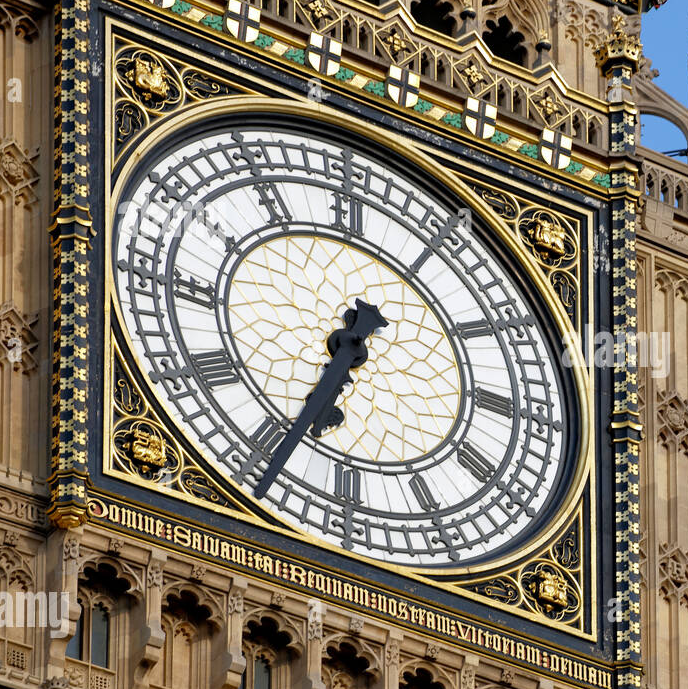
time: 6:34
